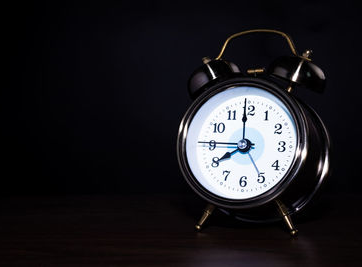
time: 7:59
